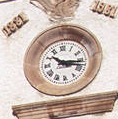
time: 10:17
